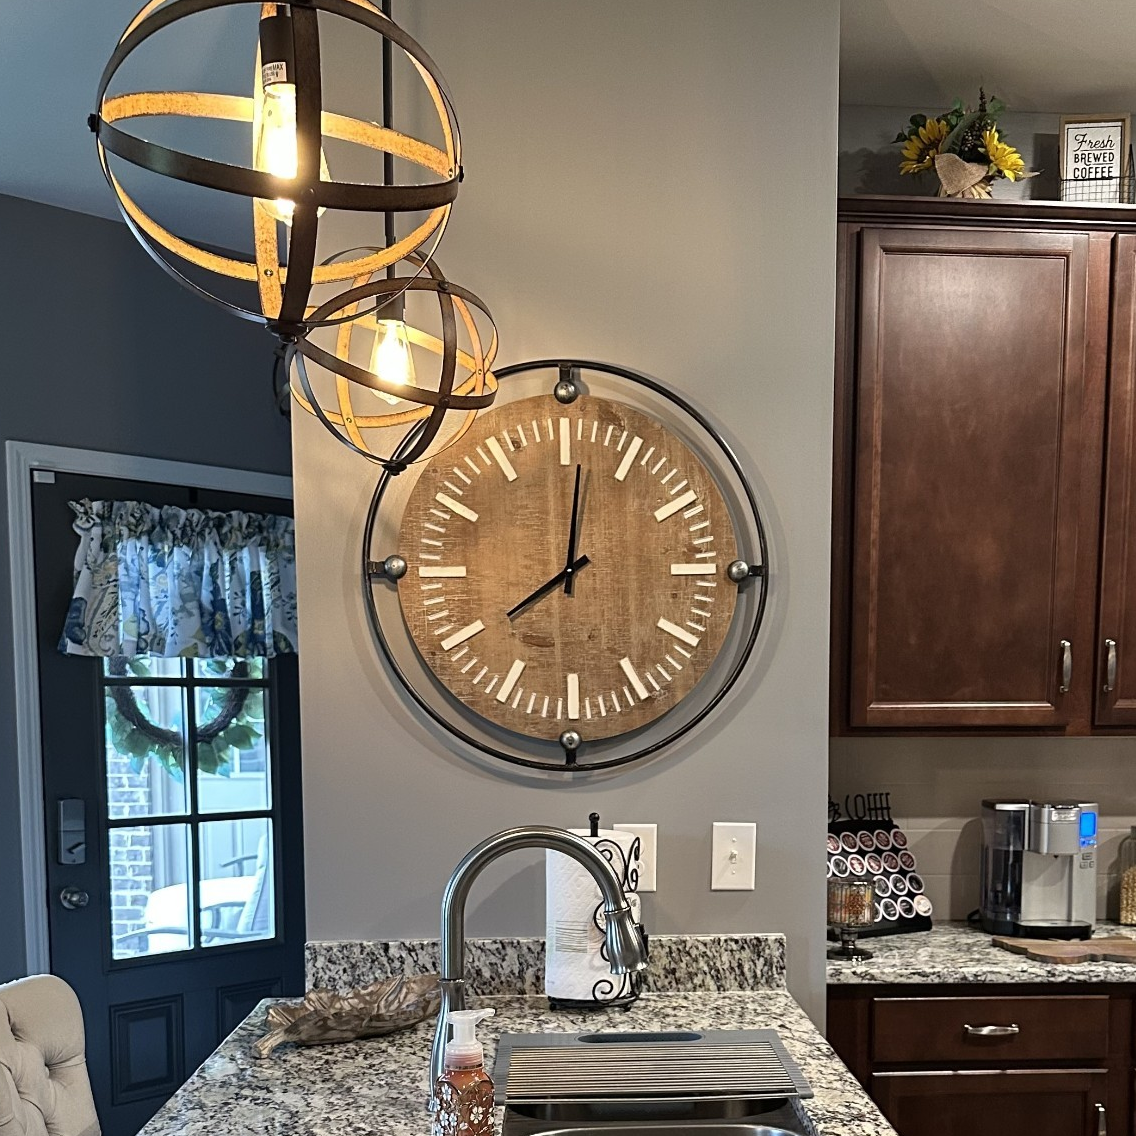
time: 8:01
